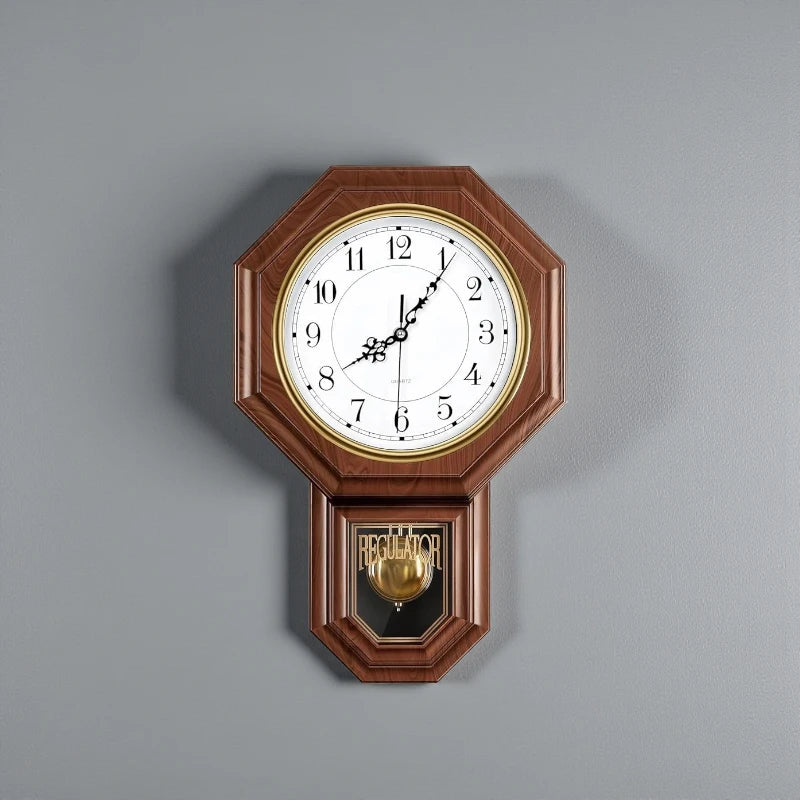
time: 8:05
